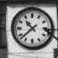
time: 10:37
